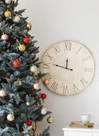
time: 11:46
